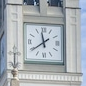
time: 11:39
